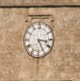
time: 3:25
